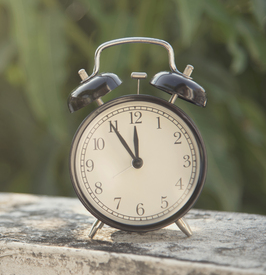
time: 11:54
